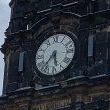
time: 5:36
